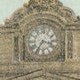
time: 3:35
